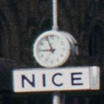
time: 8:56
